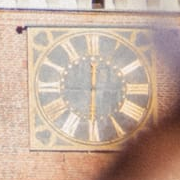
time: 6:00
